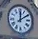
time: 12:09
